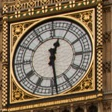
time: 12:28
